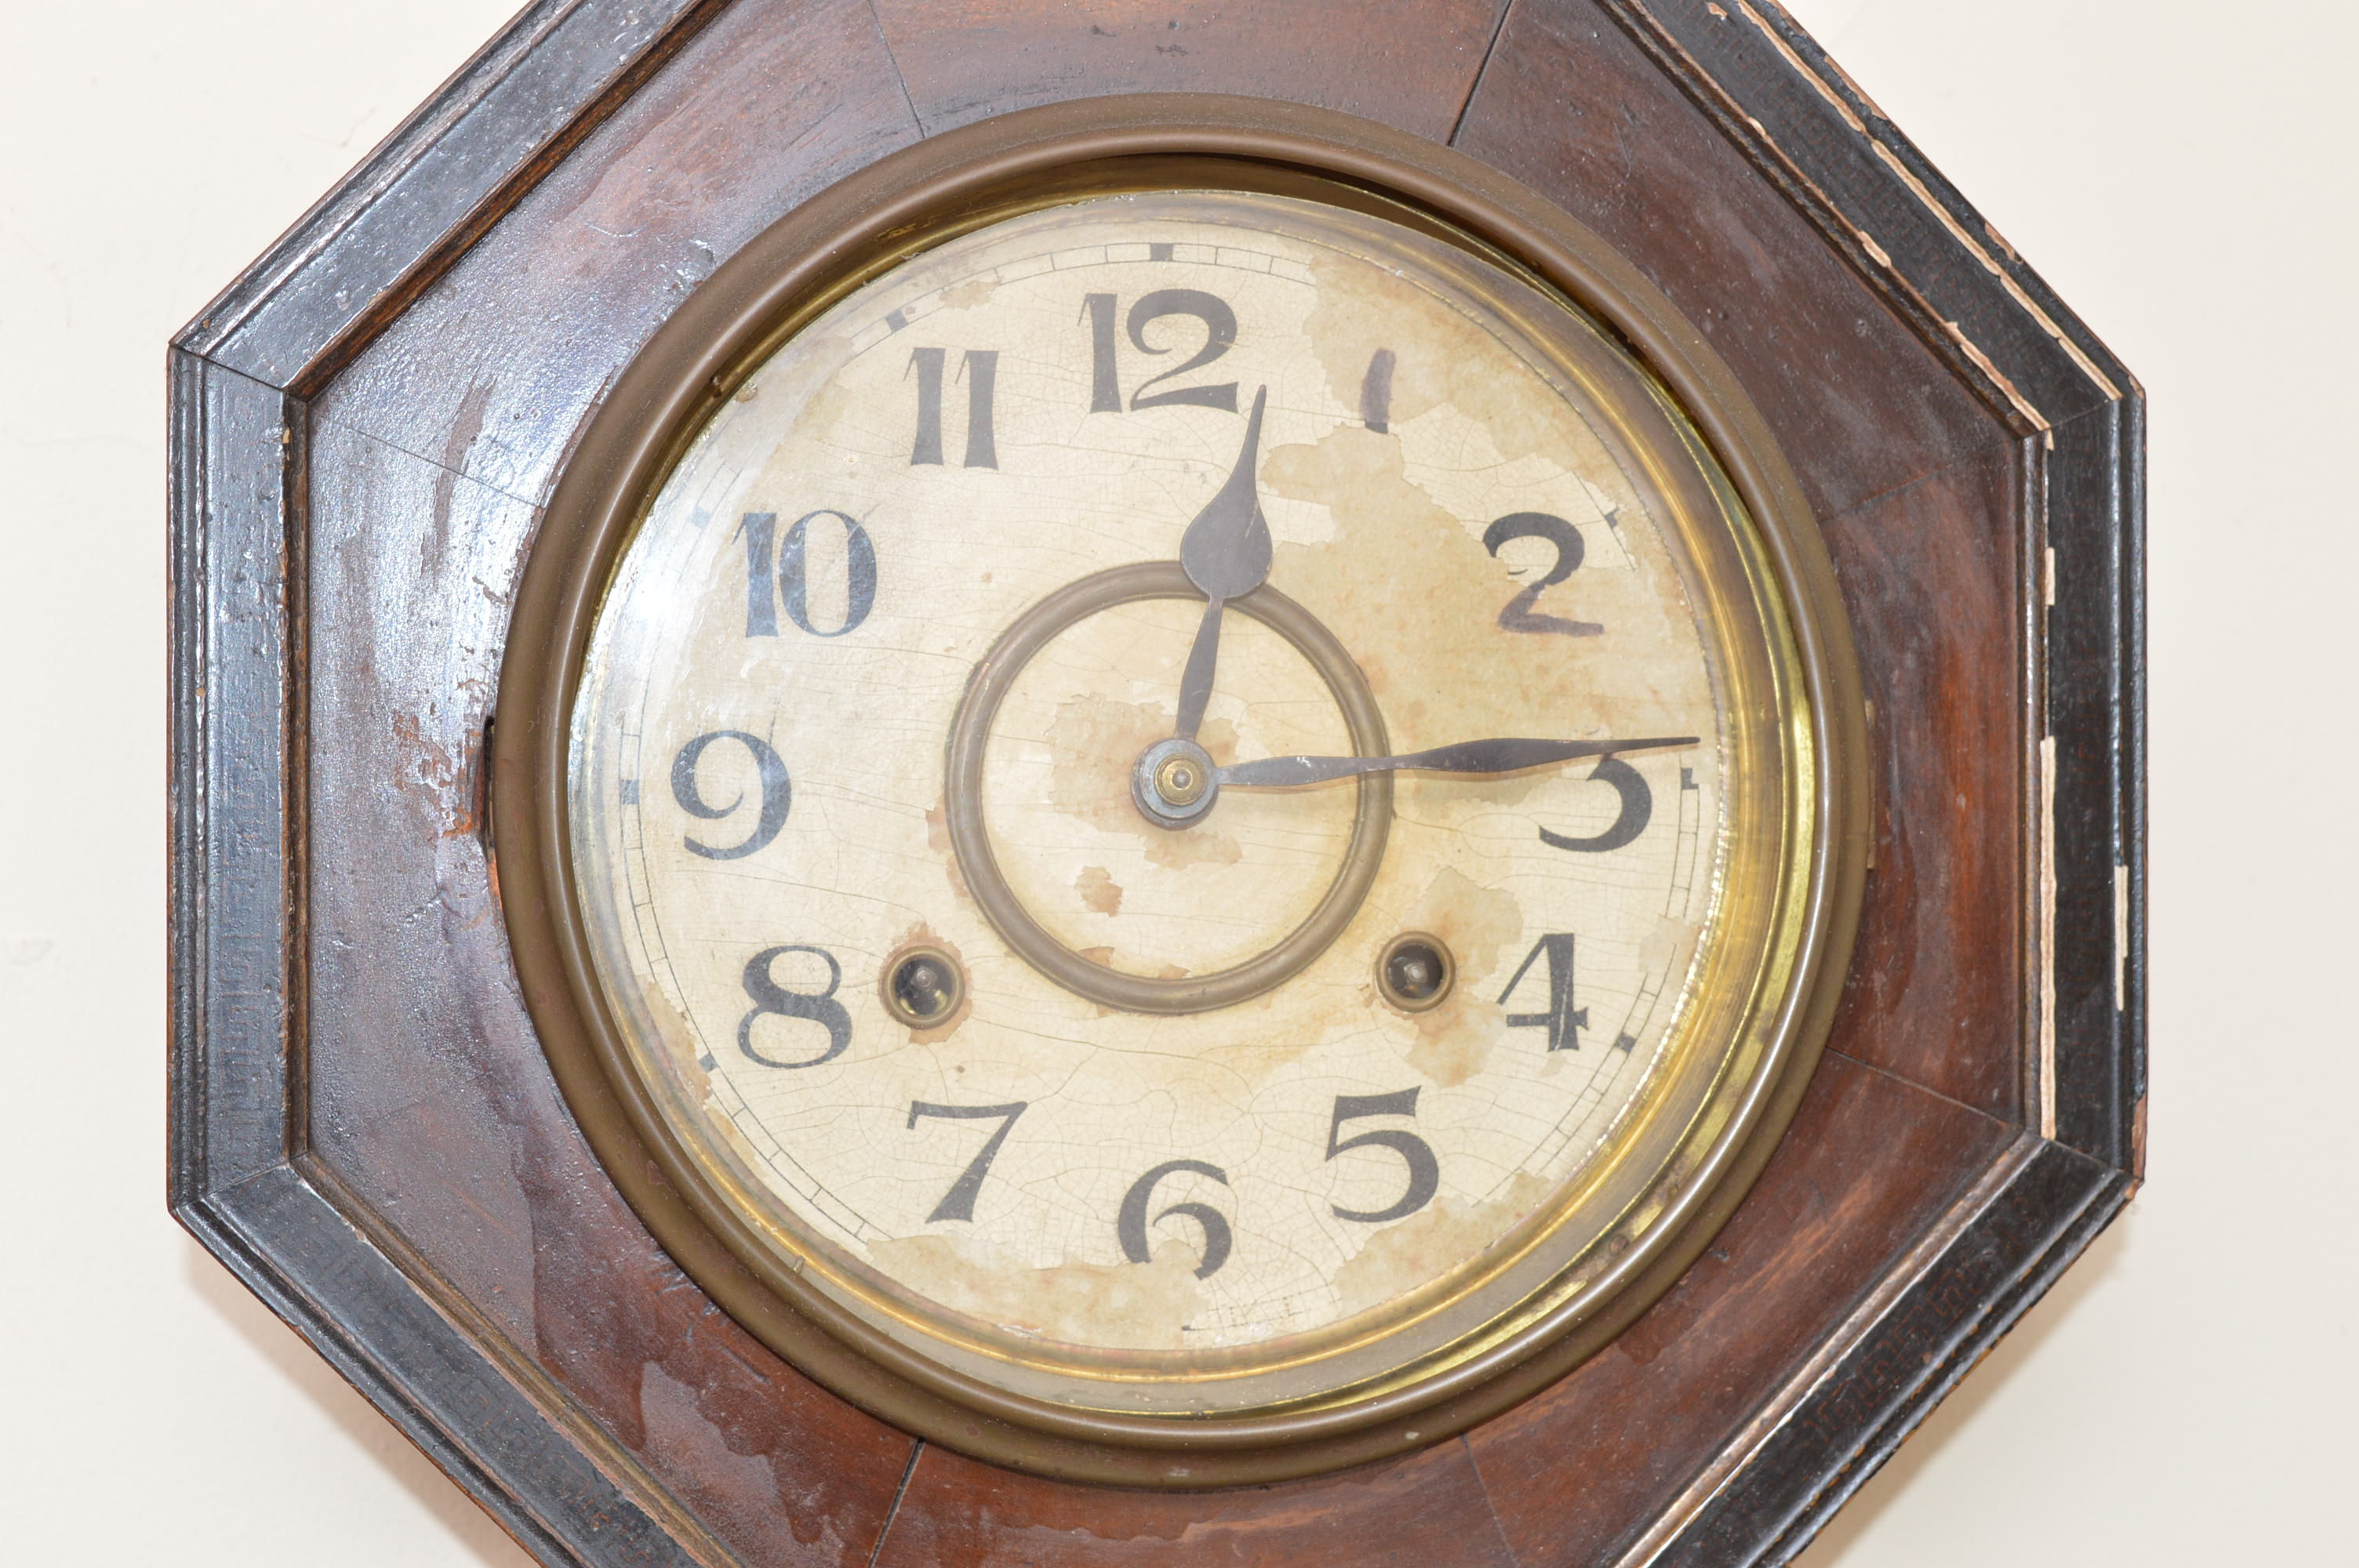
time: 12:14
